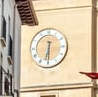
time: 6:30
